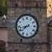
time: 7:42
